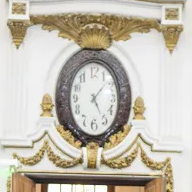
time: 5:07
